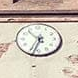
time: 10:34
